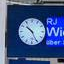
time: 10:25
